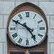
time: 4:49
